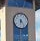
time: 6:23
